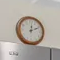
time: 12:11
